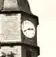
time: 2:40
